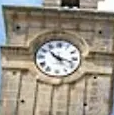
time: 10:17
